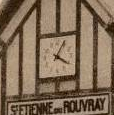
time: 4:04
